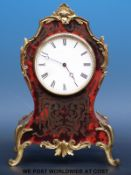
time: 4:48
